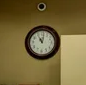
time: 11:01
